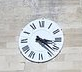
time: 3:21
